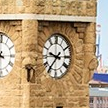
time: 9:36
